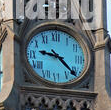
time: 9:22
